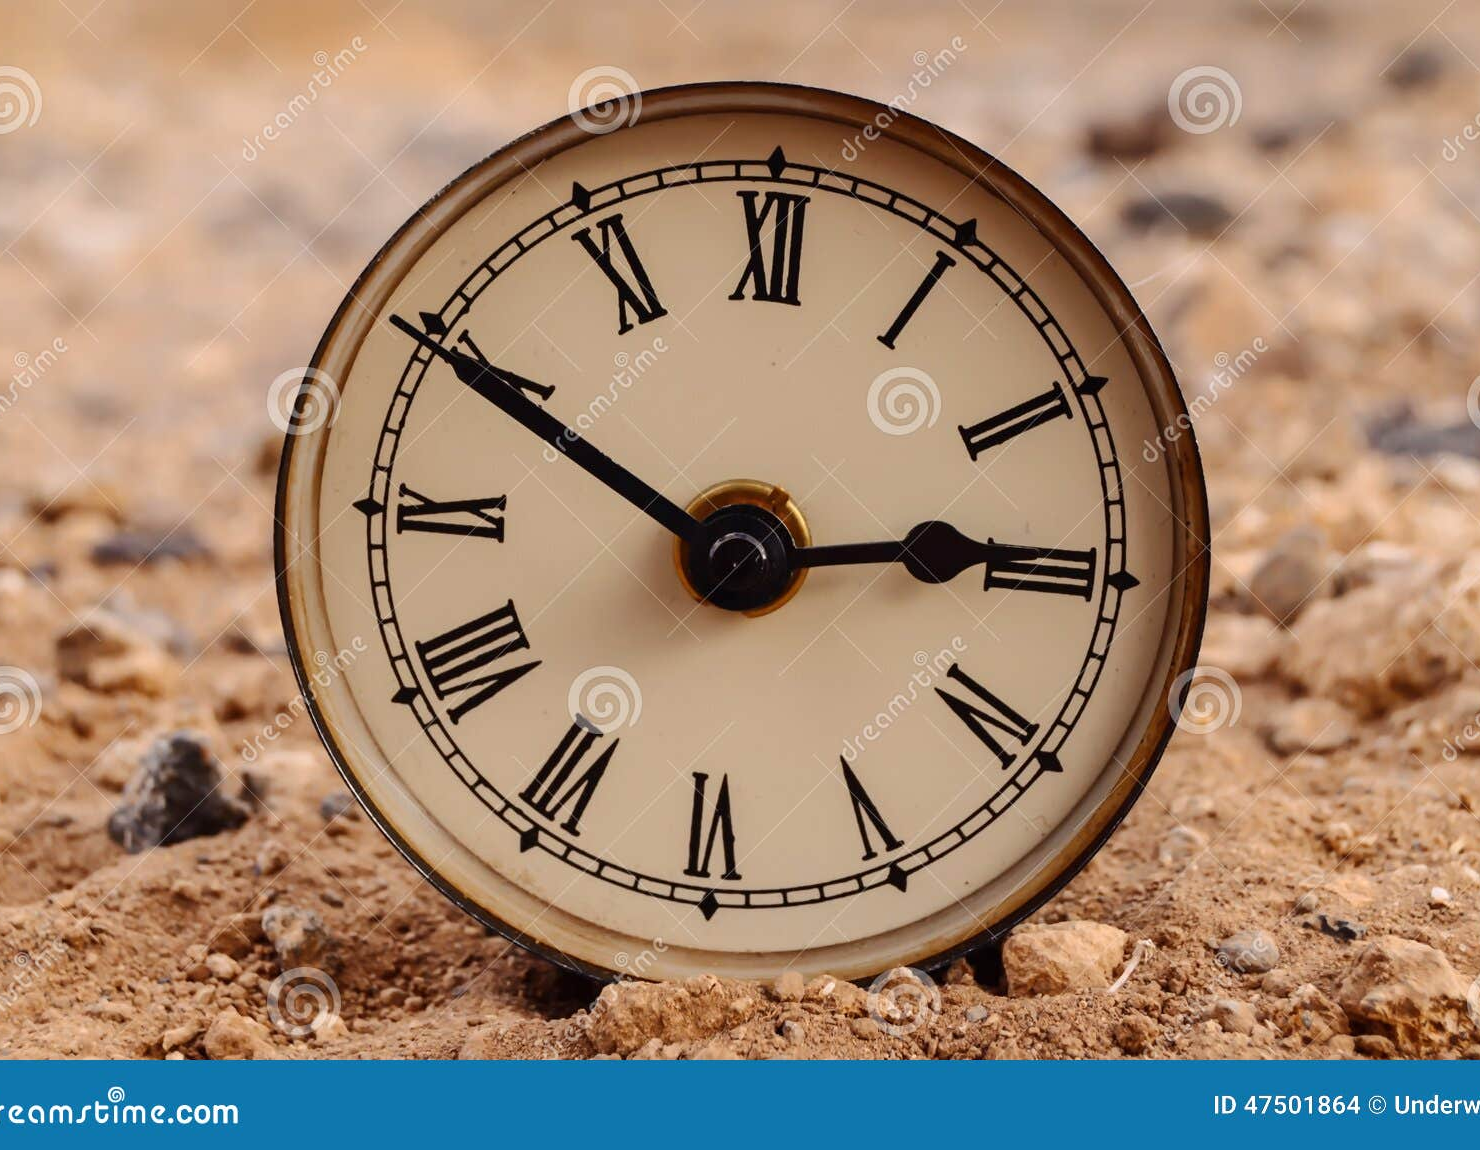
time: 2:49
